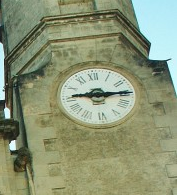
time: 9:14
